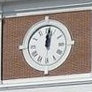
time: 12:01
